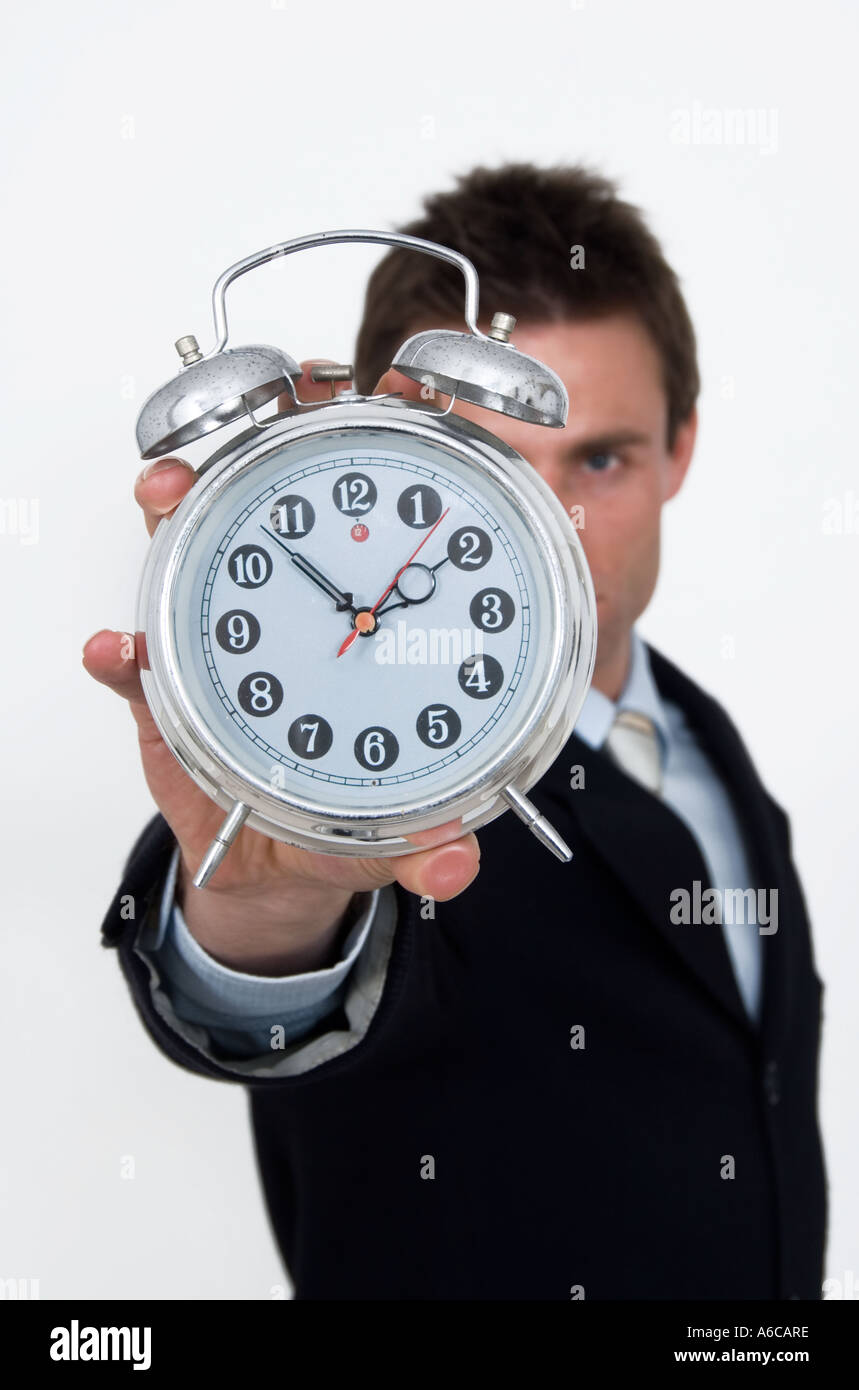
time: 1:52
